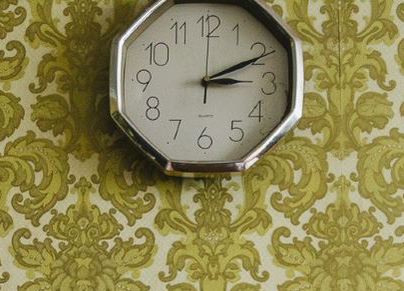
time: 3:10
